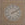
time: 2:09
